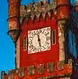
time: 11:28
